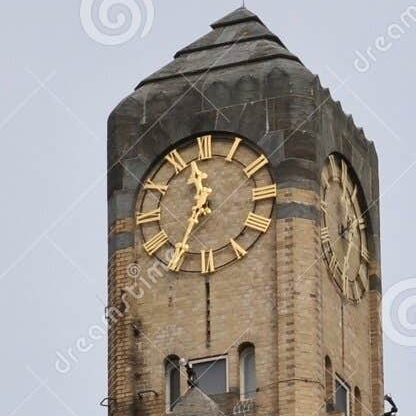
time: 11:34
